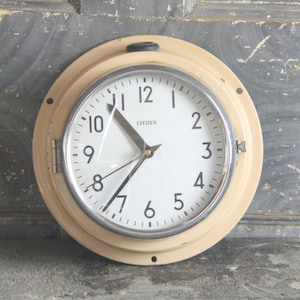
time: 10:36
